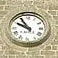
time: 9:54
